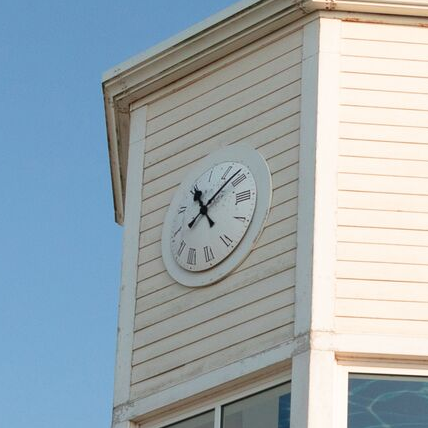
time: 11:08
